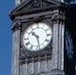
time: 10:28
